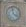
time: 3:58
